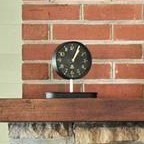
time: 1:03
